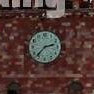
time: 2:37
